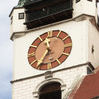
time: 11:35
